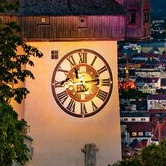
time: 11:13
